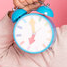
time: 7:00
